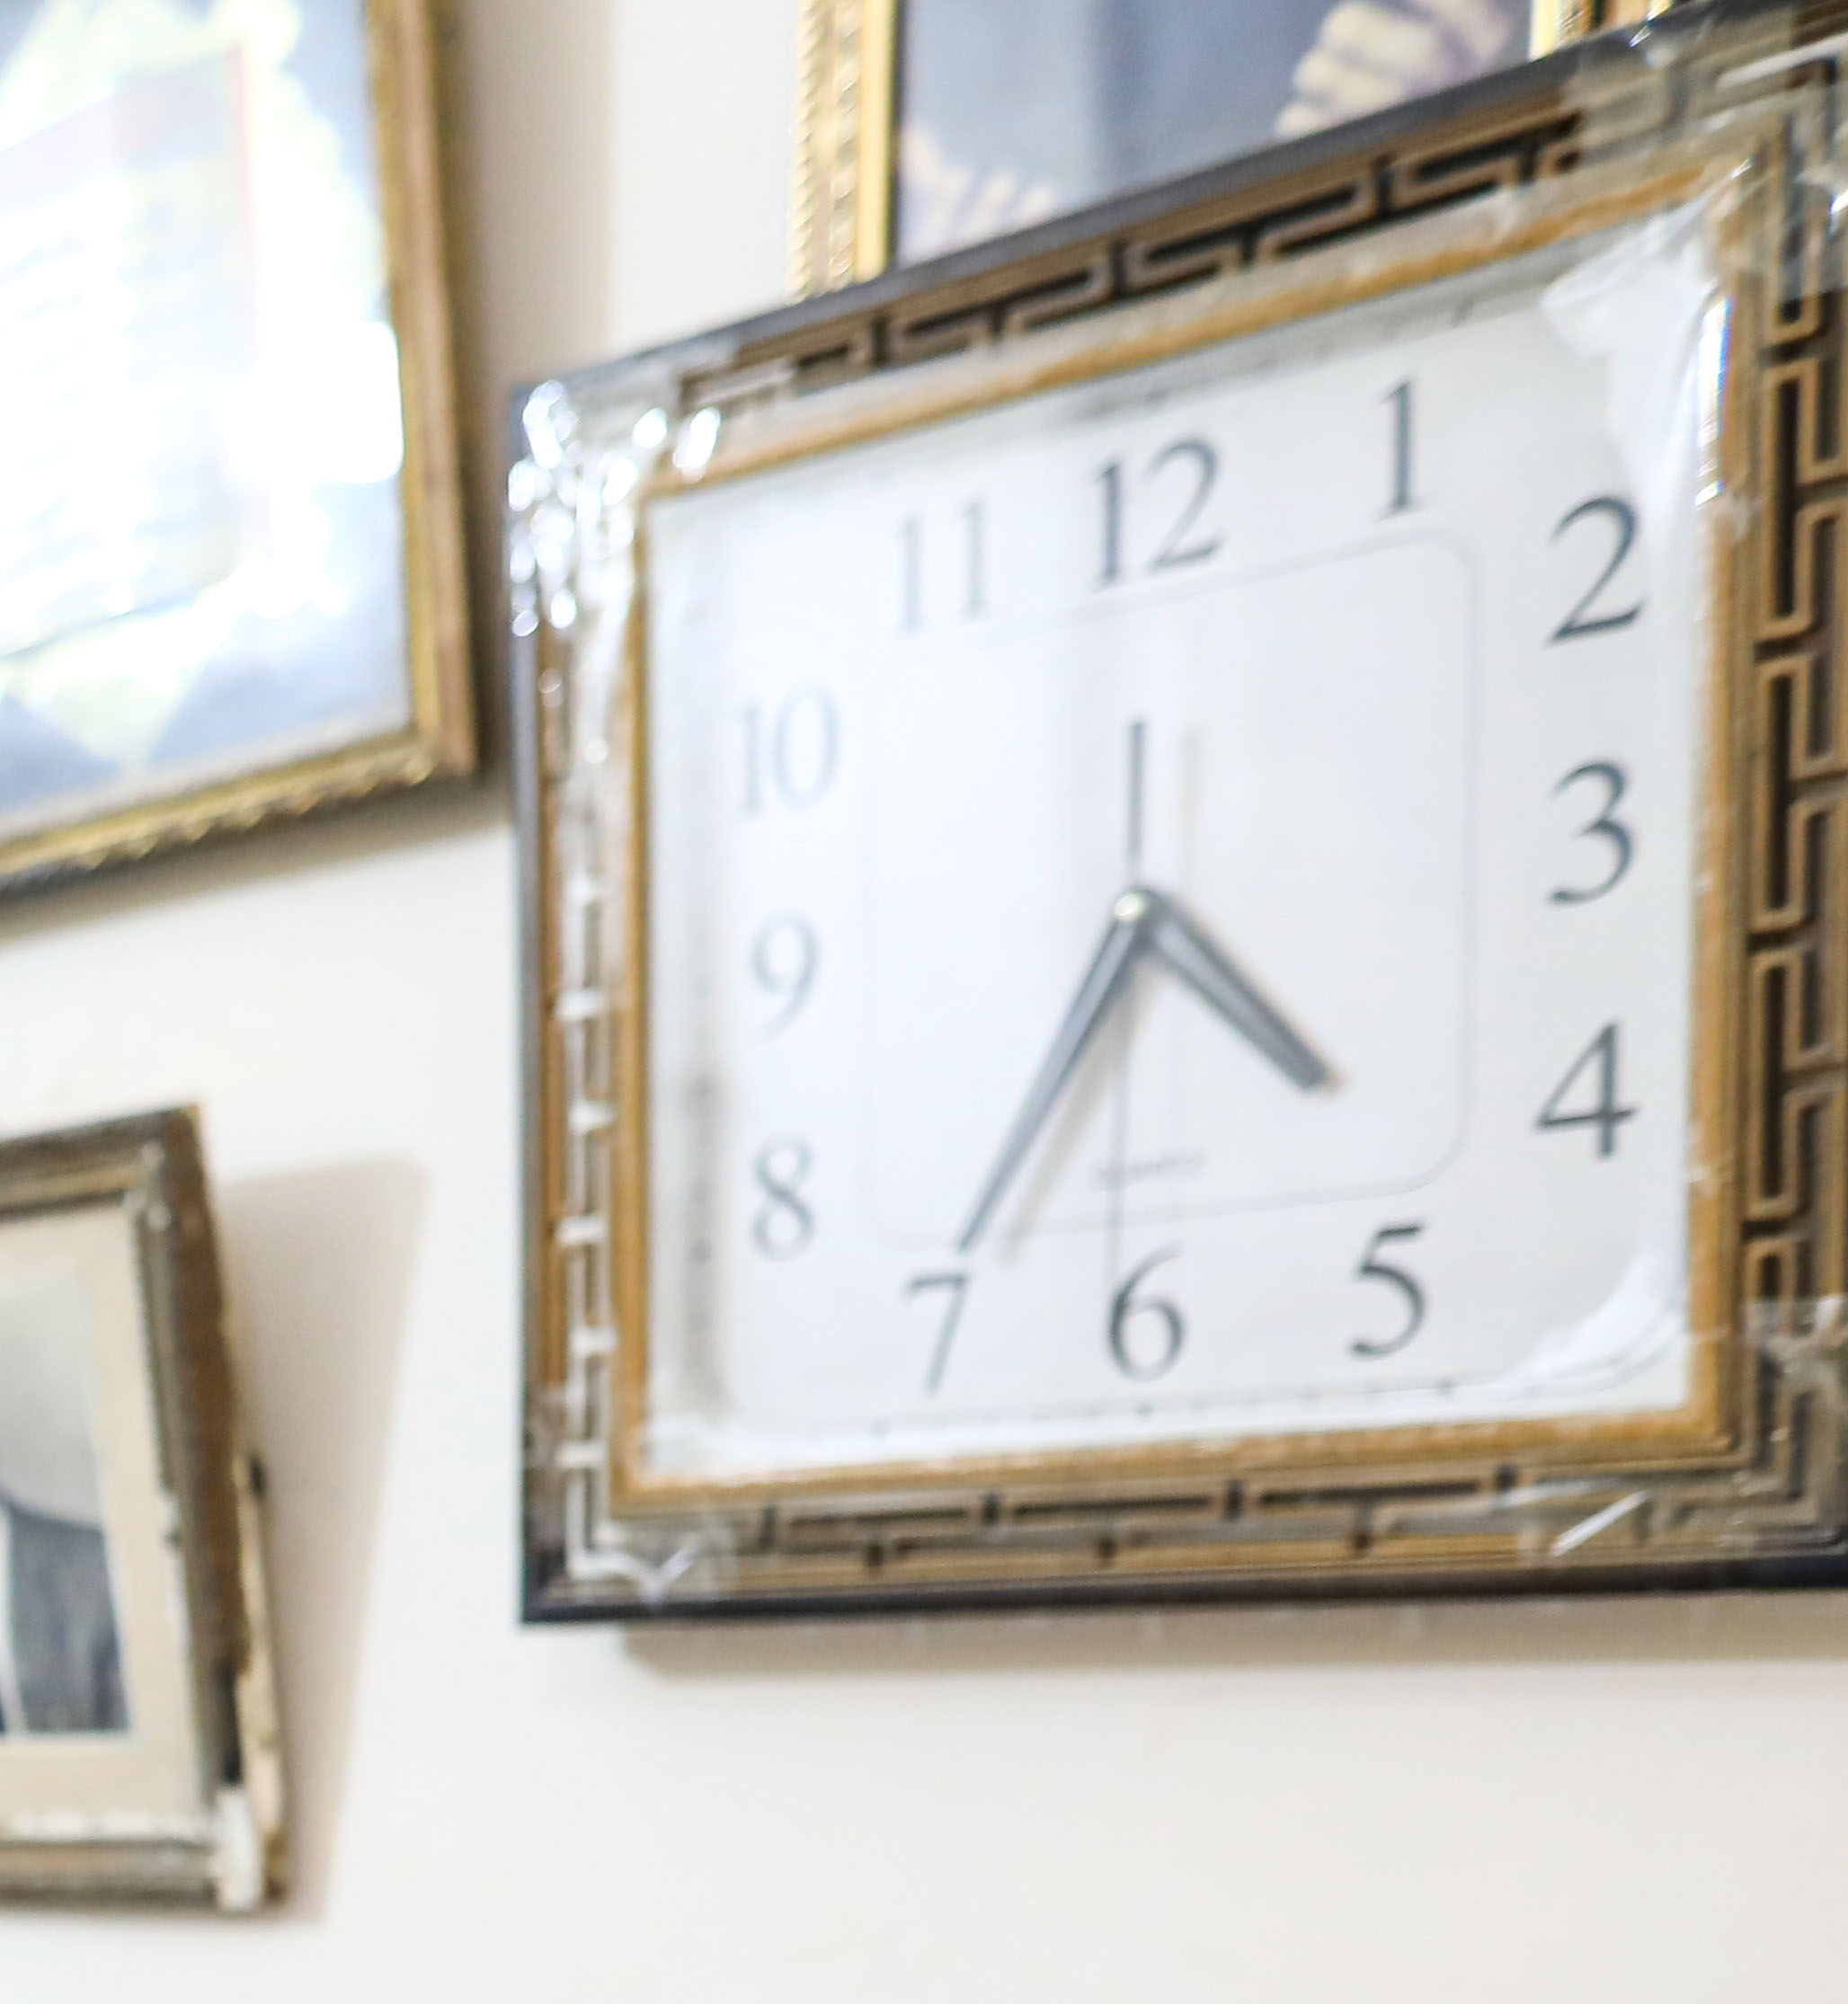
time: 4:35
